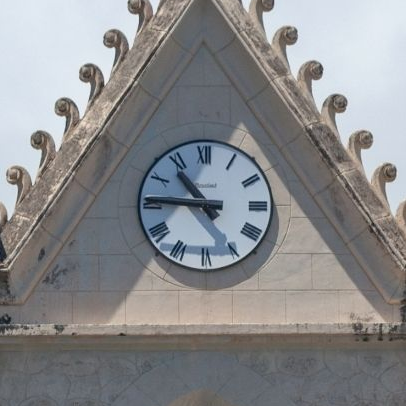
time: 10:45
